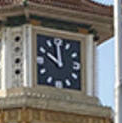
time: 9:59
